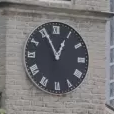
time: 12:55
